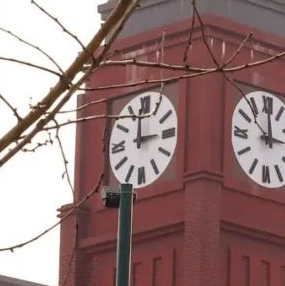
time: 2:59
